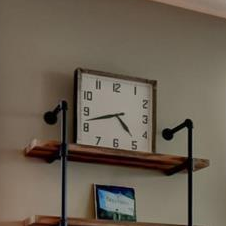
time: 4:42
